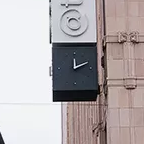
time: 12:11
